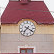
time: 7:20
